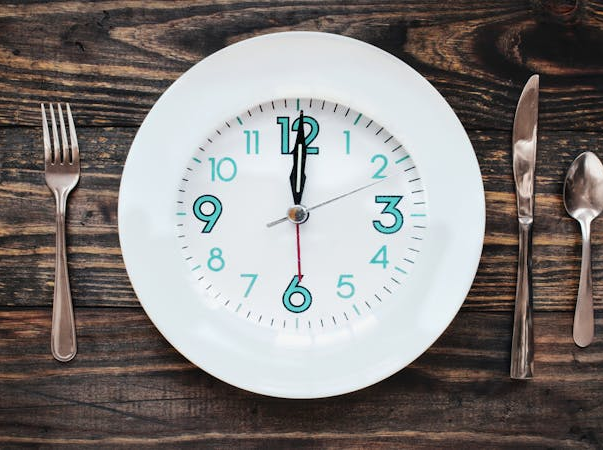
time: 12:00
